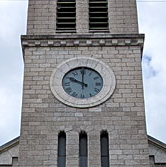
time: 10:00
